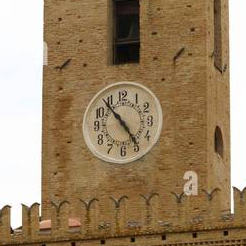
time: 4:53
